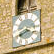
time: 3:40
